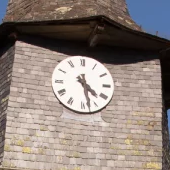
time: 4:27
